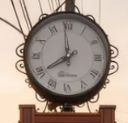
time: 7:59
